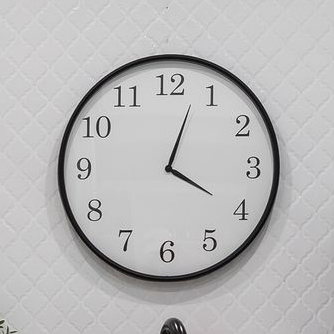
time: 4:03
